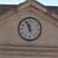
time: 11:56
